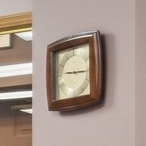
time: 9:16
